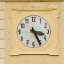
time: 3:25
